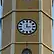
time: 3:00
